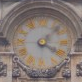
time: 4:07
